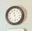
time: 11:28
